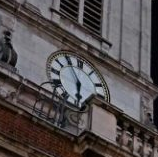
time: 5:54
